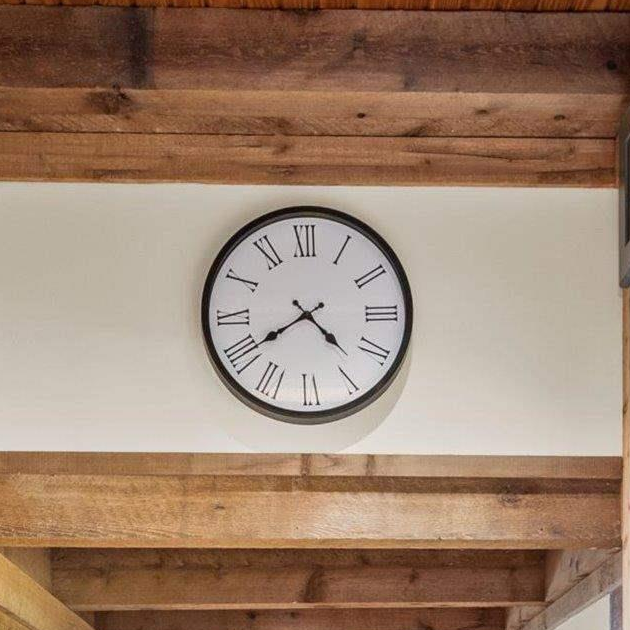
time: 4:39
